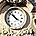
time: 10:52
